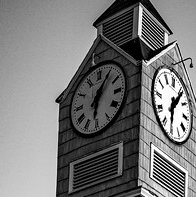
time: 6:05
